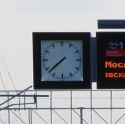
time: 7:37
